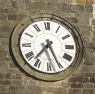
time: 7:25
